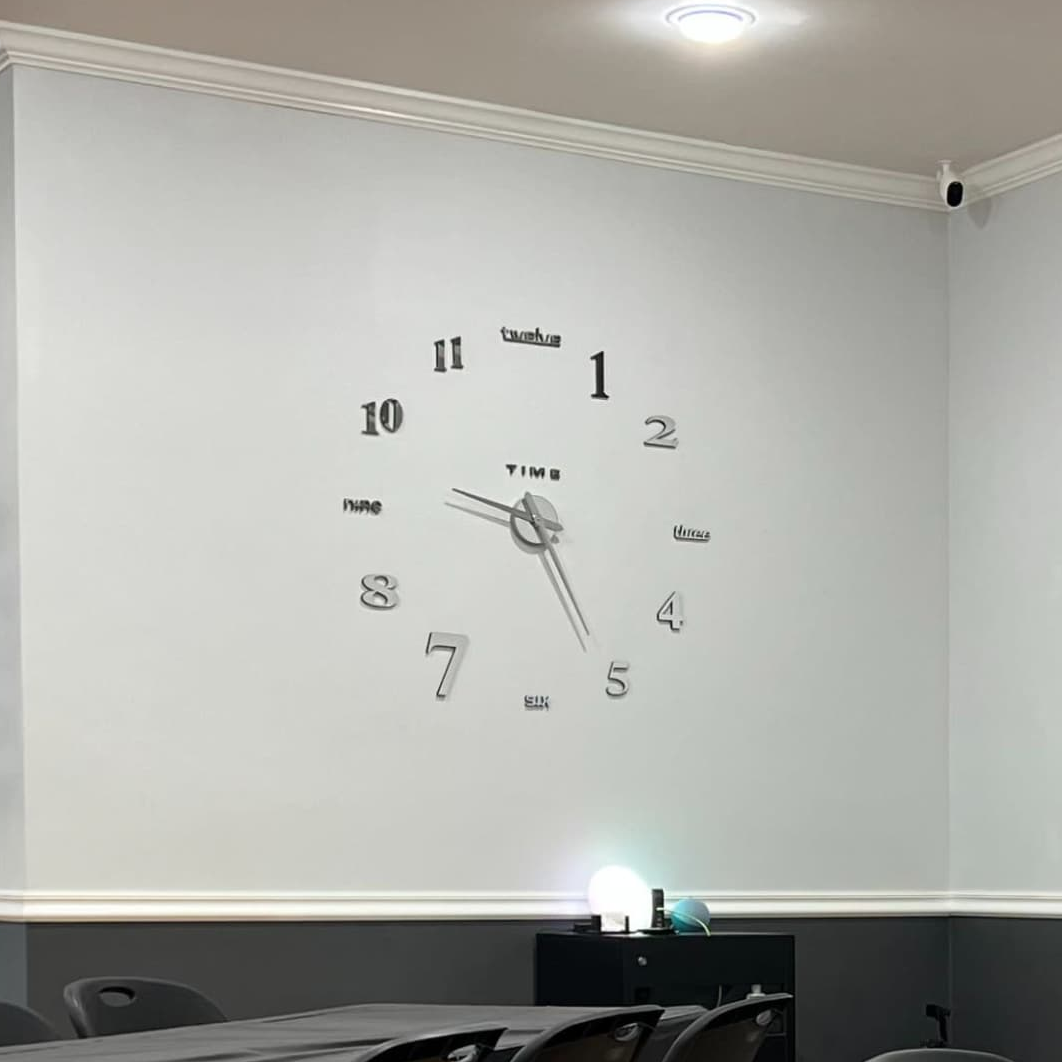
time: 9:25
